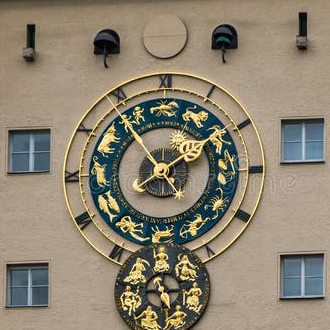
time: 1:53
